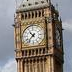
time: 10:37
